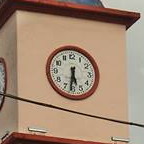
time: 5:31
